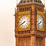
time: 7:40
